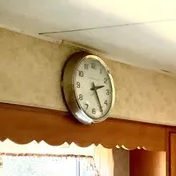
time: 2:24
